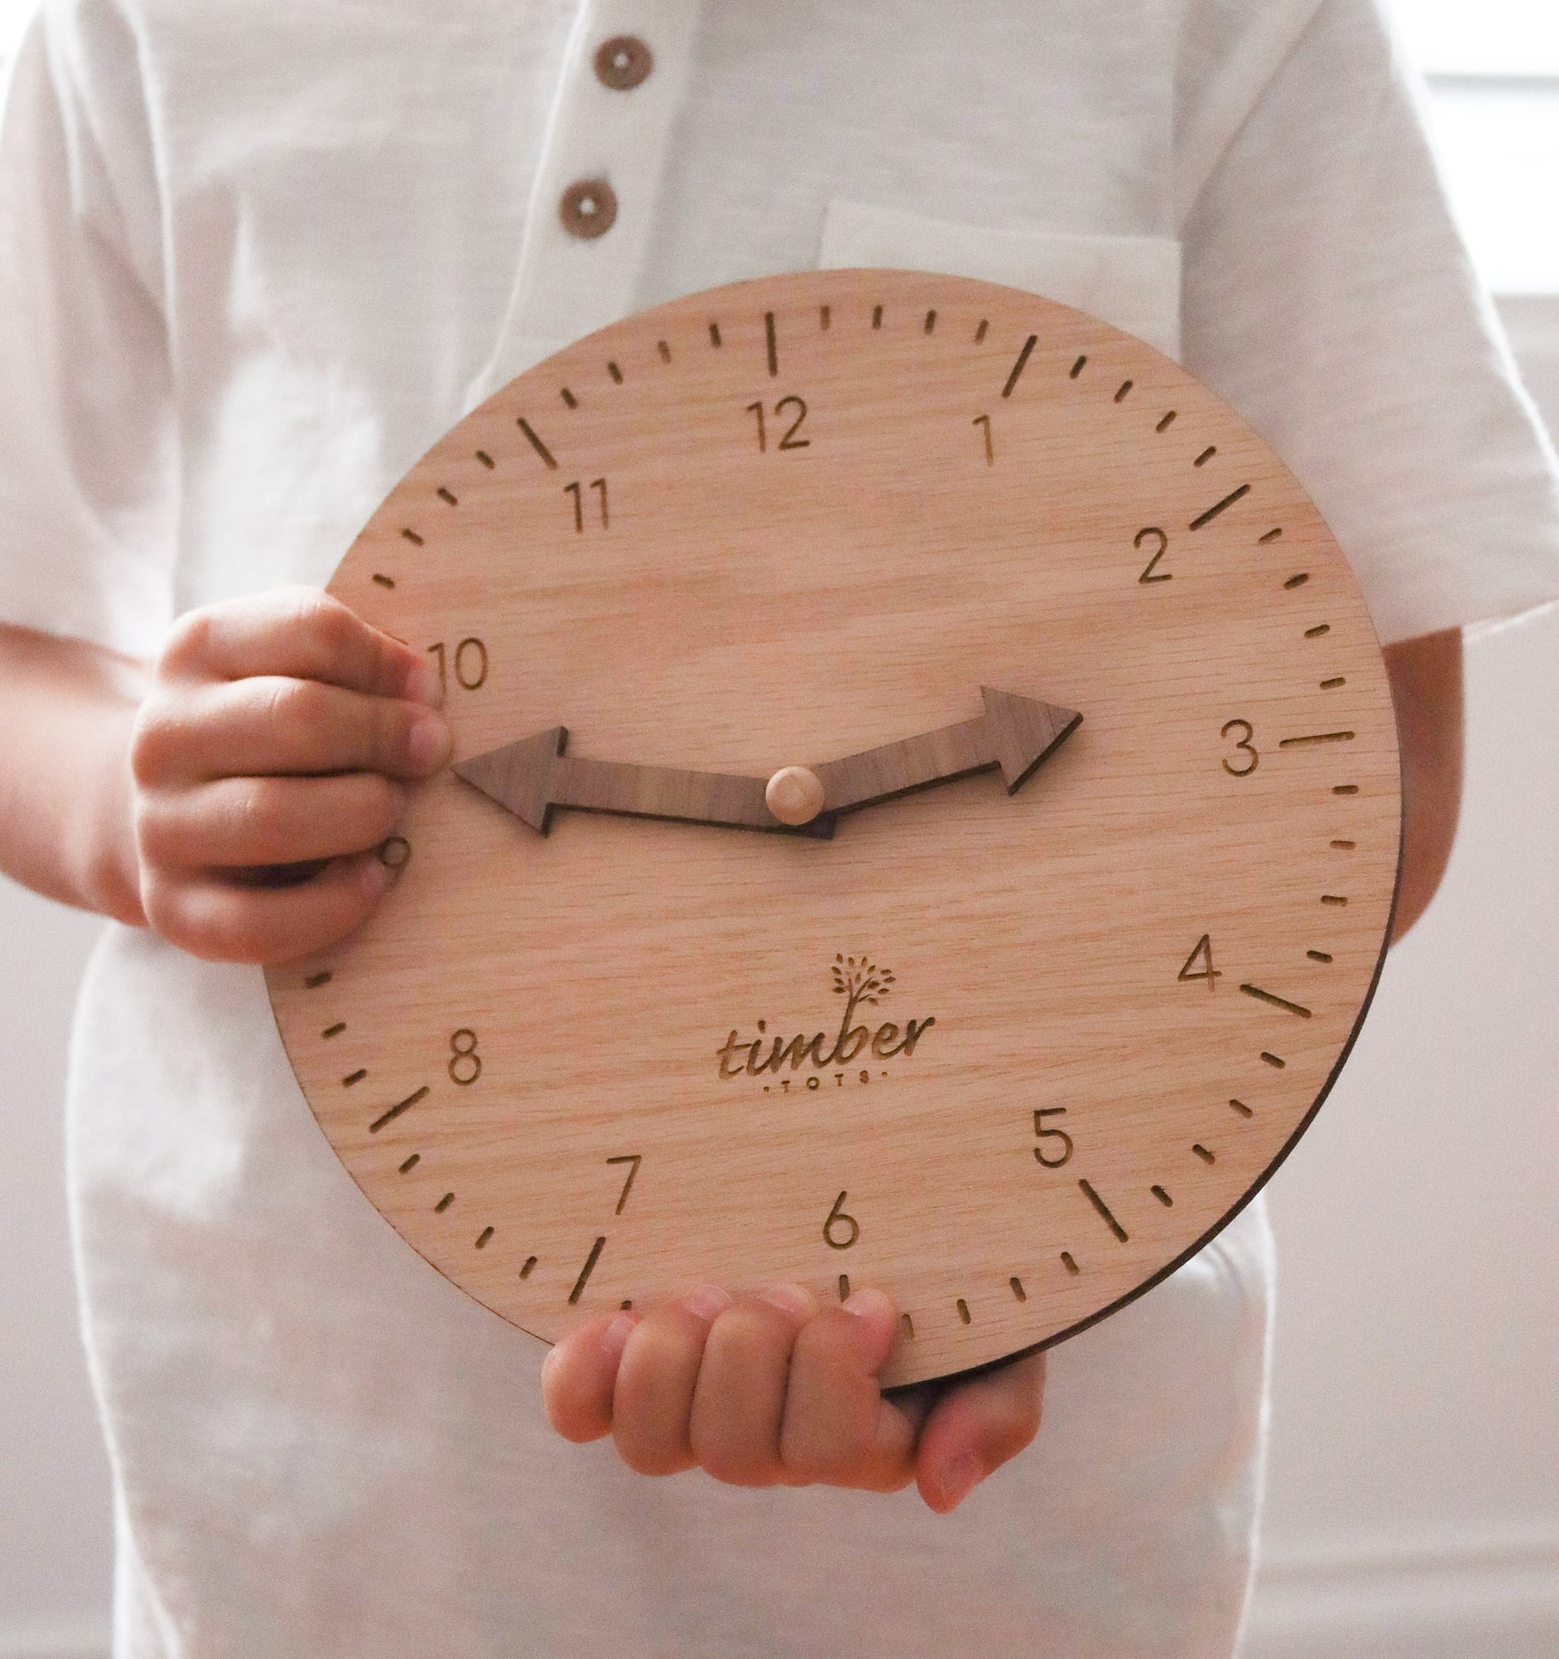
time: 2:47
